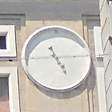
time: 4:44
